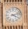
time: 4:12
